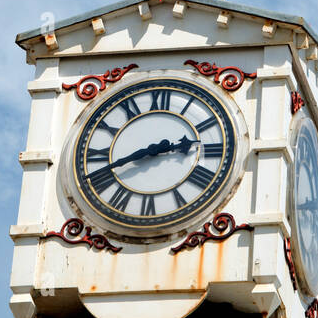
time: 2:41
